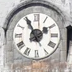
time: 1:55
